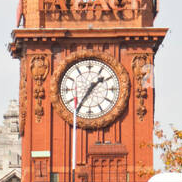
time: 1:35
